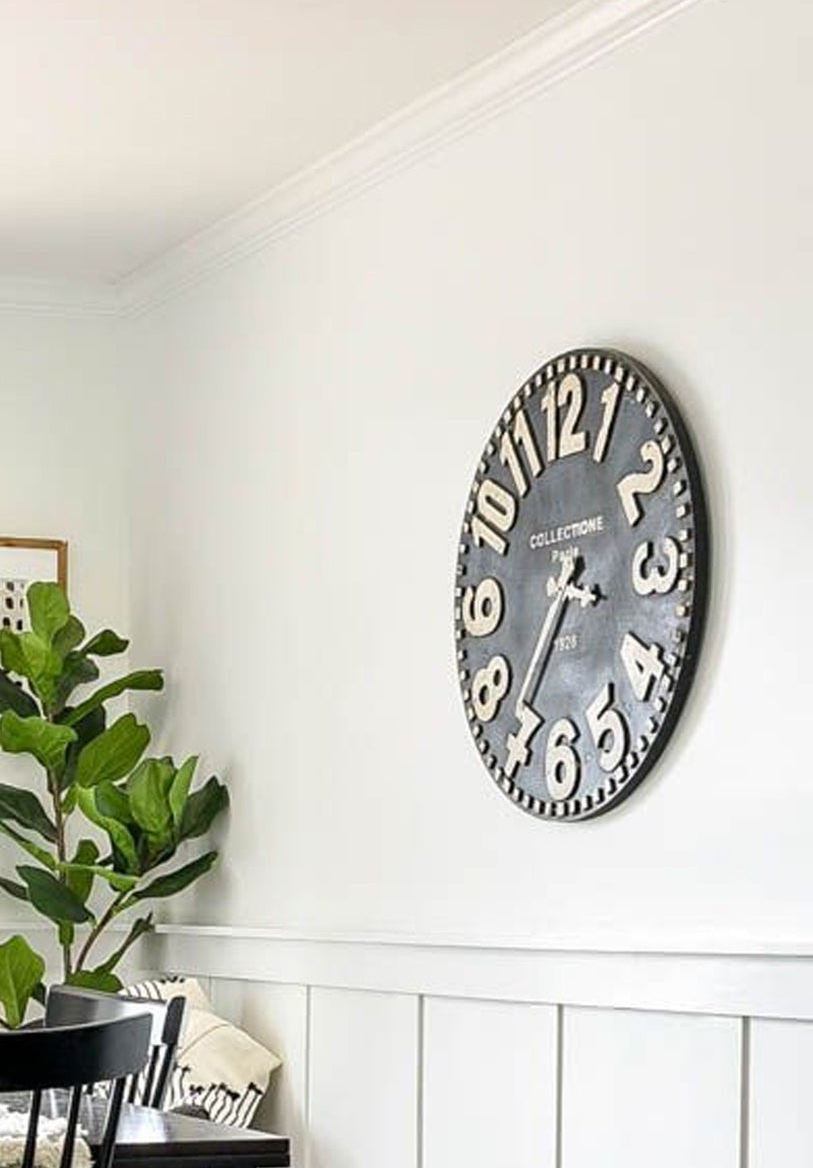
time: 3:36
